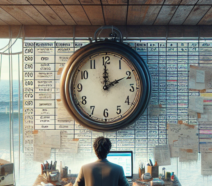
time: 1:59
